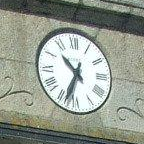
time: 10:34
